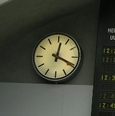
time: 12:19
